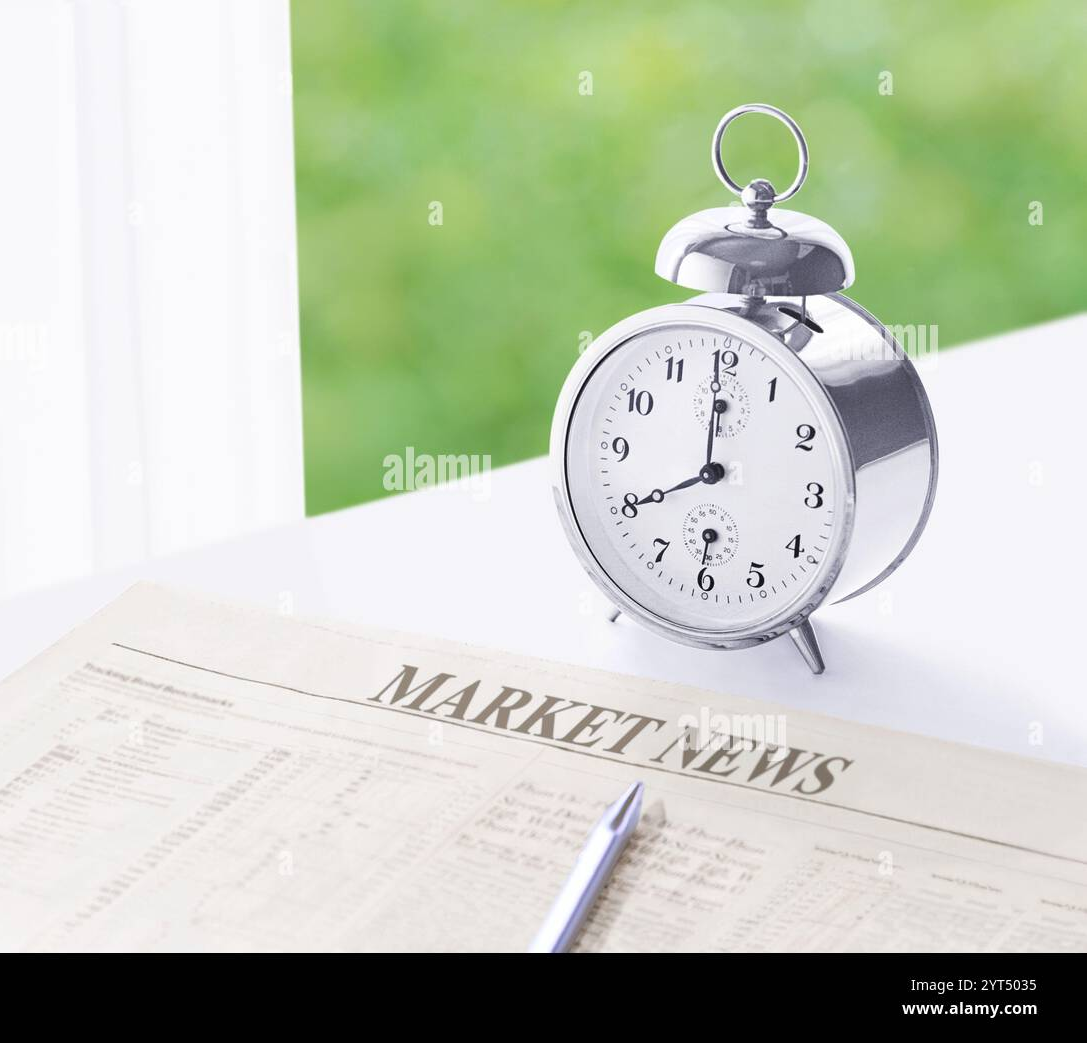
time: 8:00
